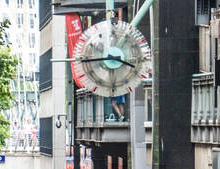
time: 3:44
